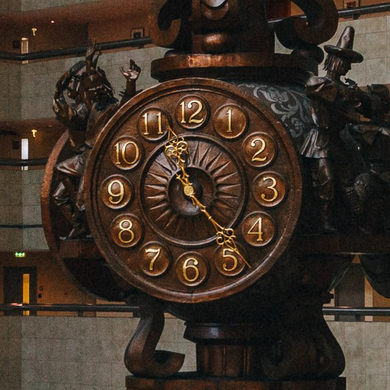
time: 11:23
